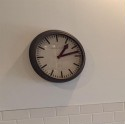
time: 1:12
